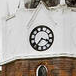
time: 3:36
